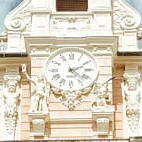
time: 4:10
